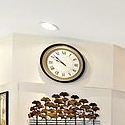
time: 9:51
